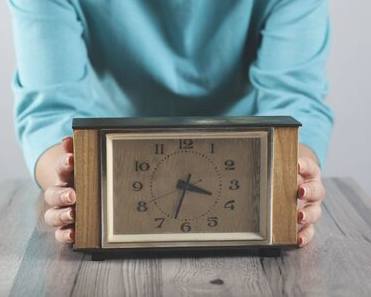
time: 3:32
